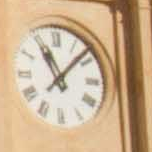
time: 11:07
